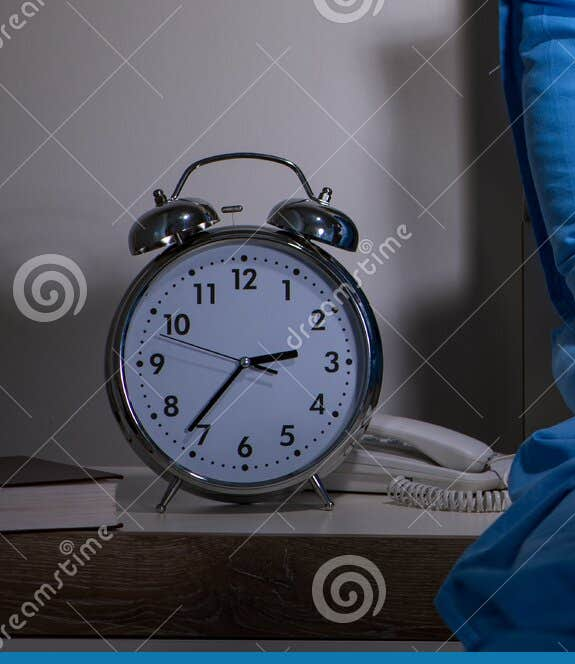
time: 2:36
